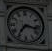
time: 7:17
